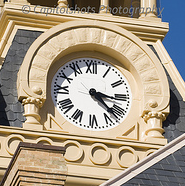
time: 3:22
